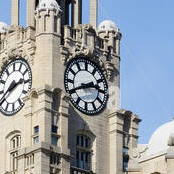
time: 2:40
